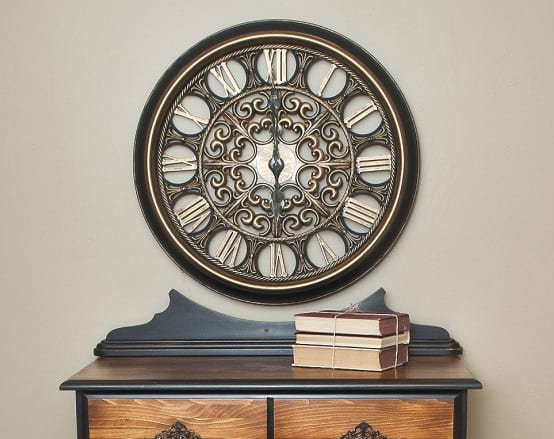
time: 5:59
